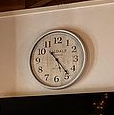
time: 5:23
